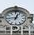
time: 12:43
